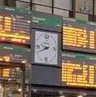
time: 8:41
